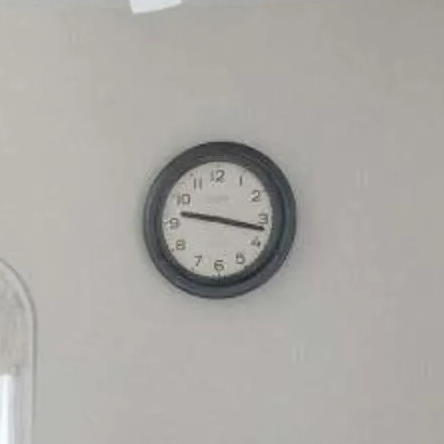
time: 9:17
